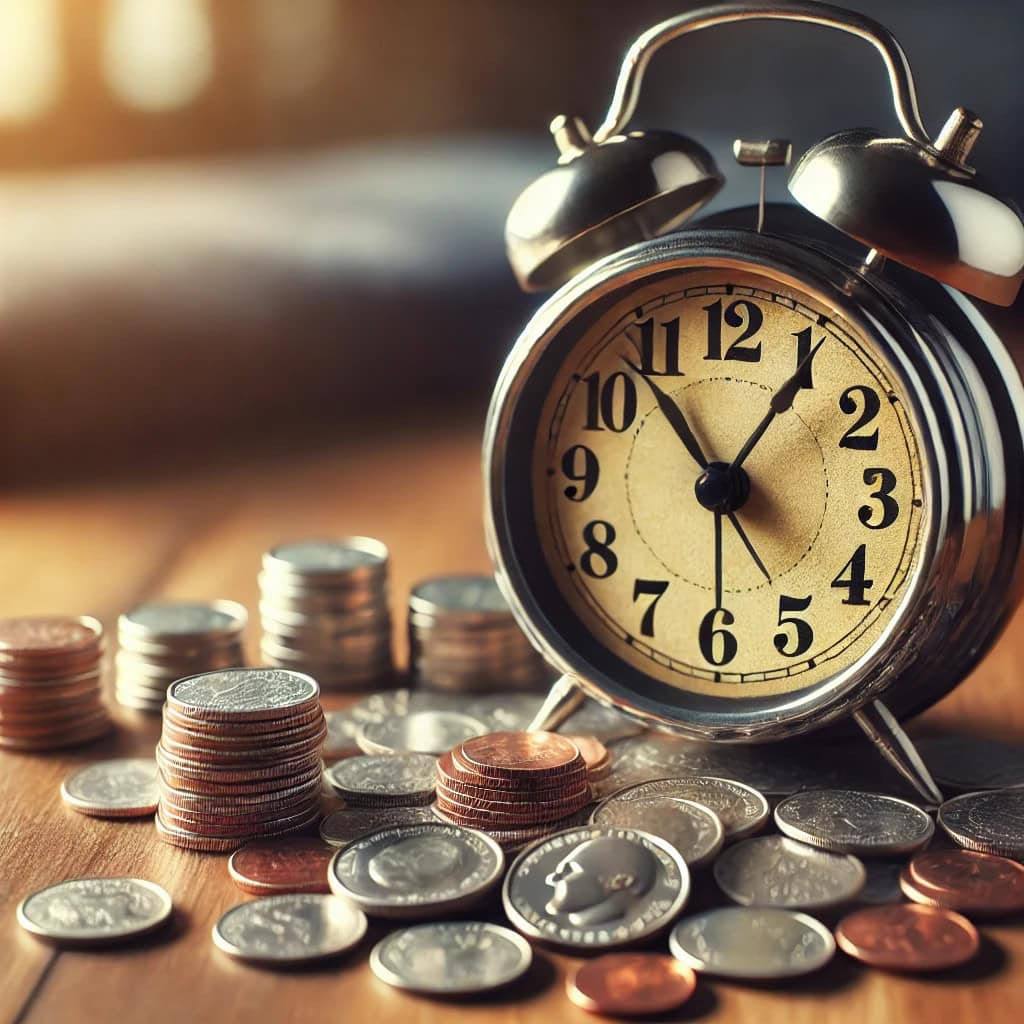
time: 12:53
